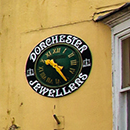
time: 10:24
